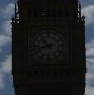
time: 10:42
